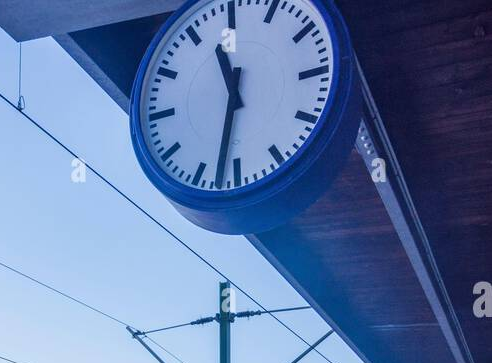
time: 11:32
